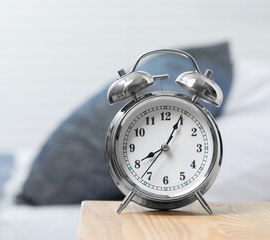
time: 8:04
